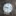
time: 9:28
